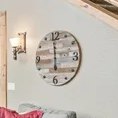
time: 5:59
